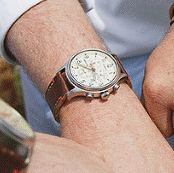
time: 10:47
